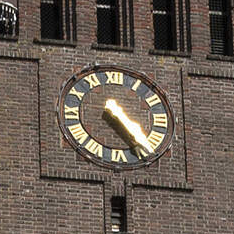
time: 4:24
